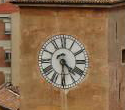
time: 4:30
